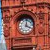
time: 4:01
